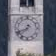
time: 7:41
